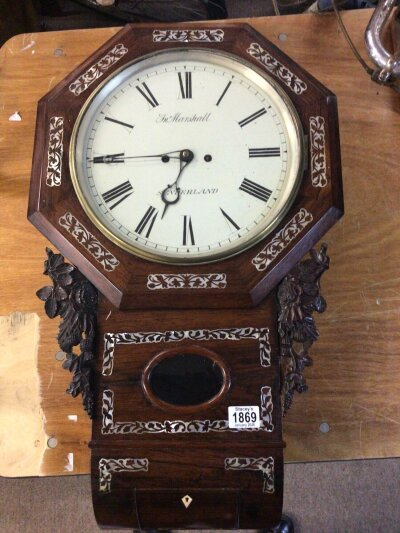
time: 6:44
